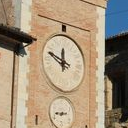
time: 11:48
